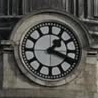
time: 1:18
